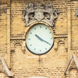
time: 10:19
